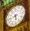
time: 5:42
